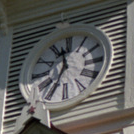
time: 11:35
